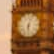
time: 6:03
